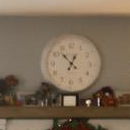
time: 12:52
